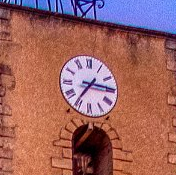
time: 7:15
